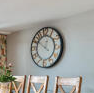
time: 12:50
